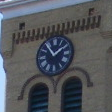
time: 1:54
